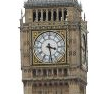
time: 3:28
